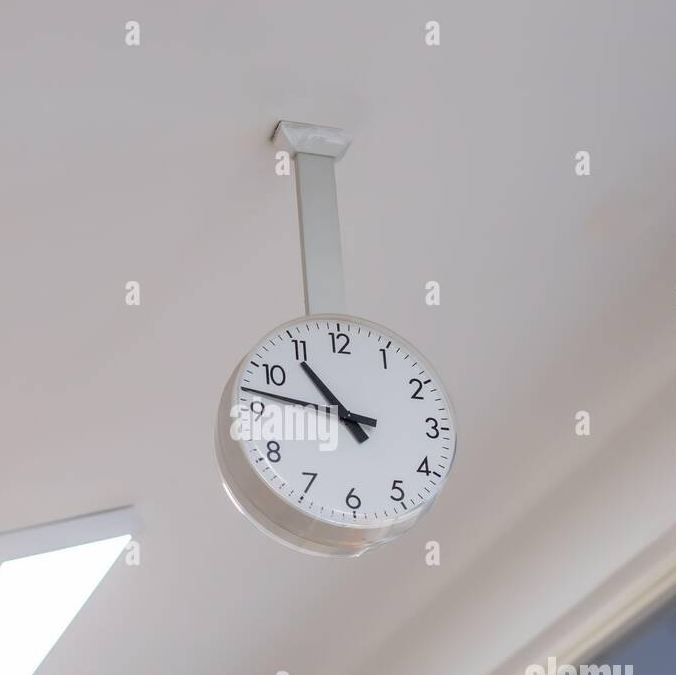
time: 10:47
